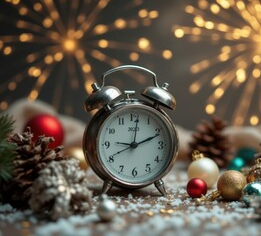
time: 12:11
